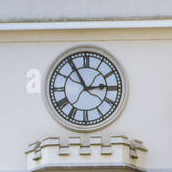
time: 2:54
